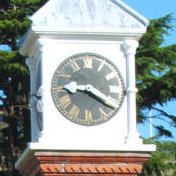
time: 9:20
